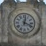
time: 12:18
